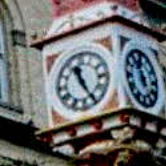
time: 11:25
